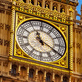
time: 11:19
